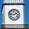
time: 1:46
